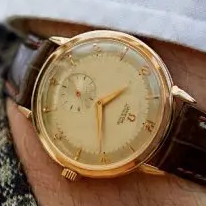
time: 2:30
